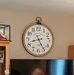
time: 8:25
